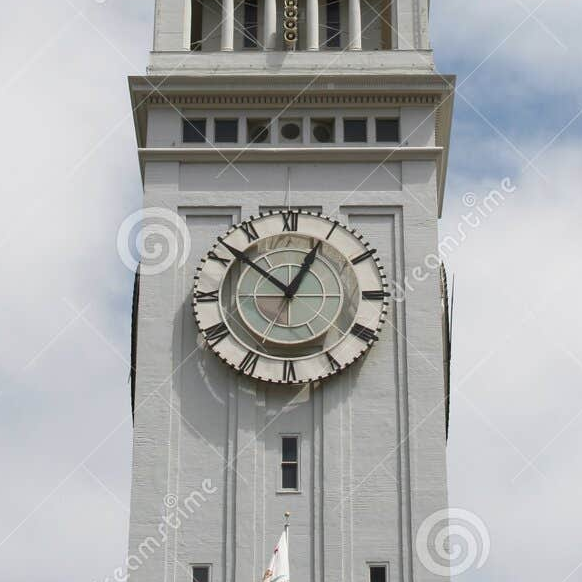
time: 12:52
